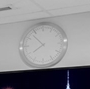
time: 7:52
